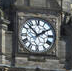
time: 1:52
